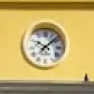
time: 10:07
